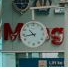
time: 10:43
